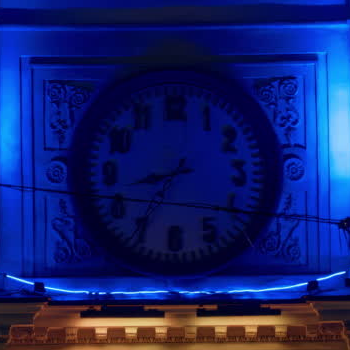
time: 8:35
